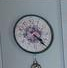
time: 4:22
